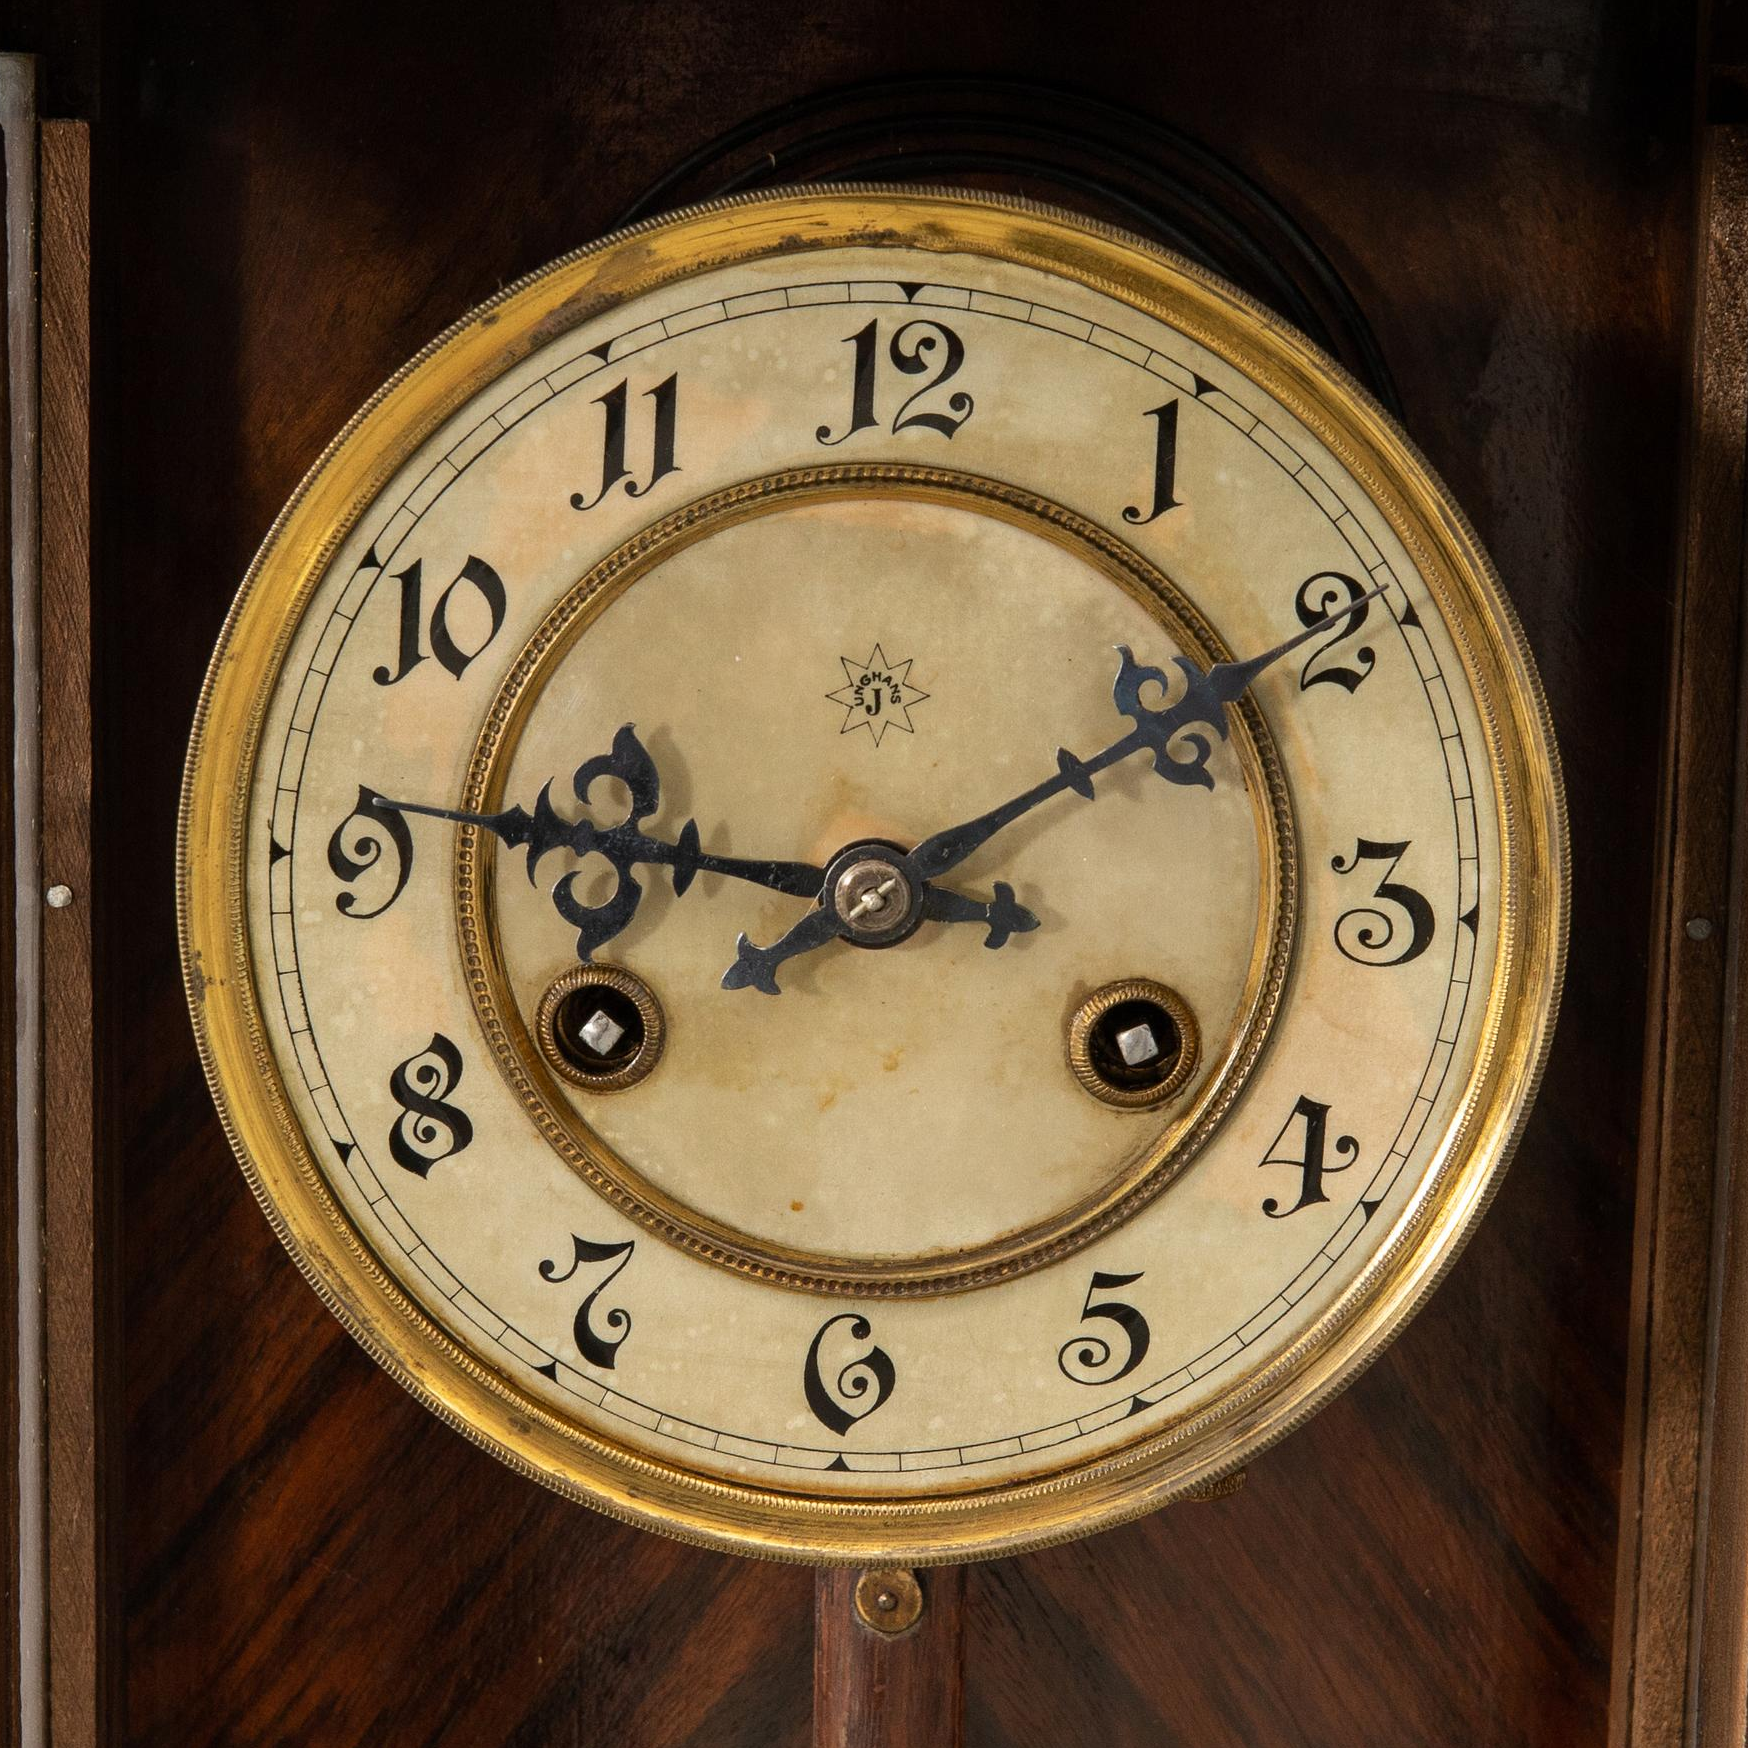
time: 9:09
